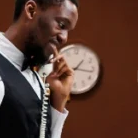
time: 1:16
